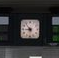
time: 8:53
